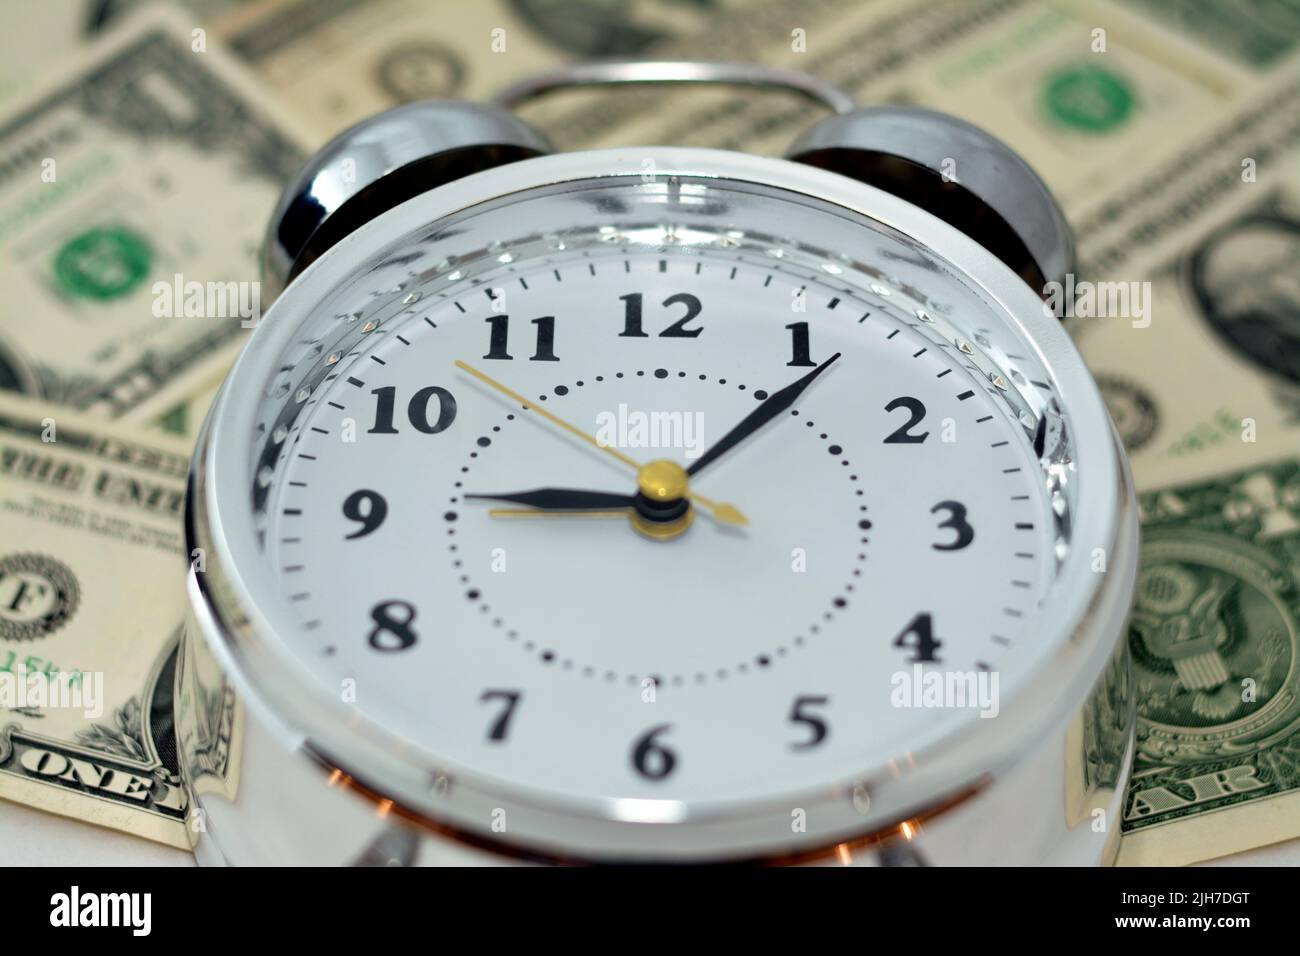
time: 9:06
